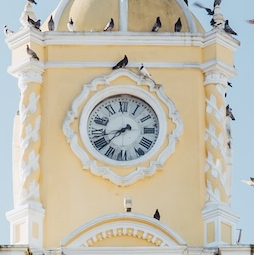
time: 8:38
